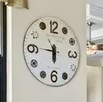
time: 5:45
